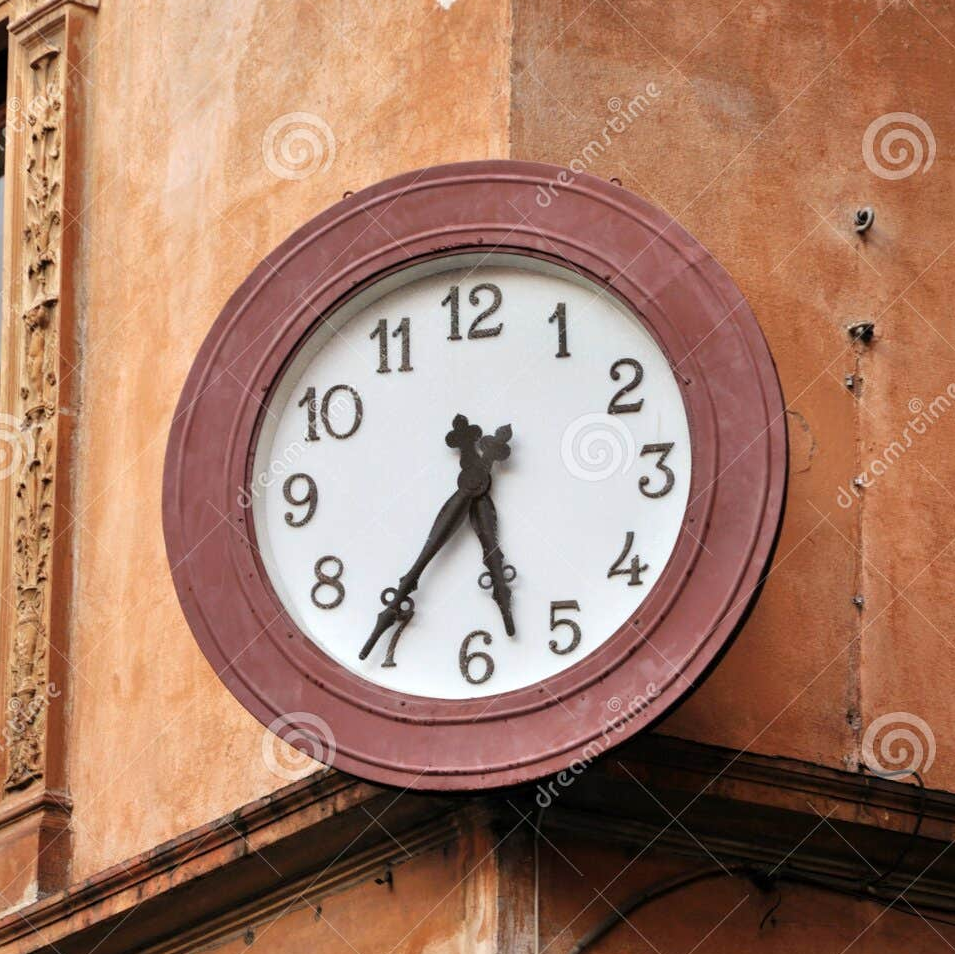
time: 5:35
